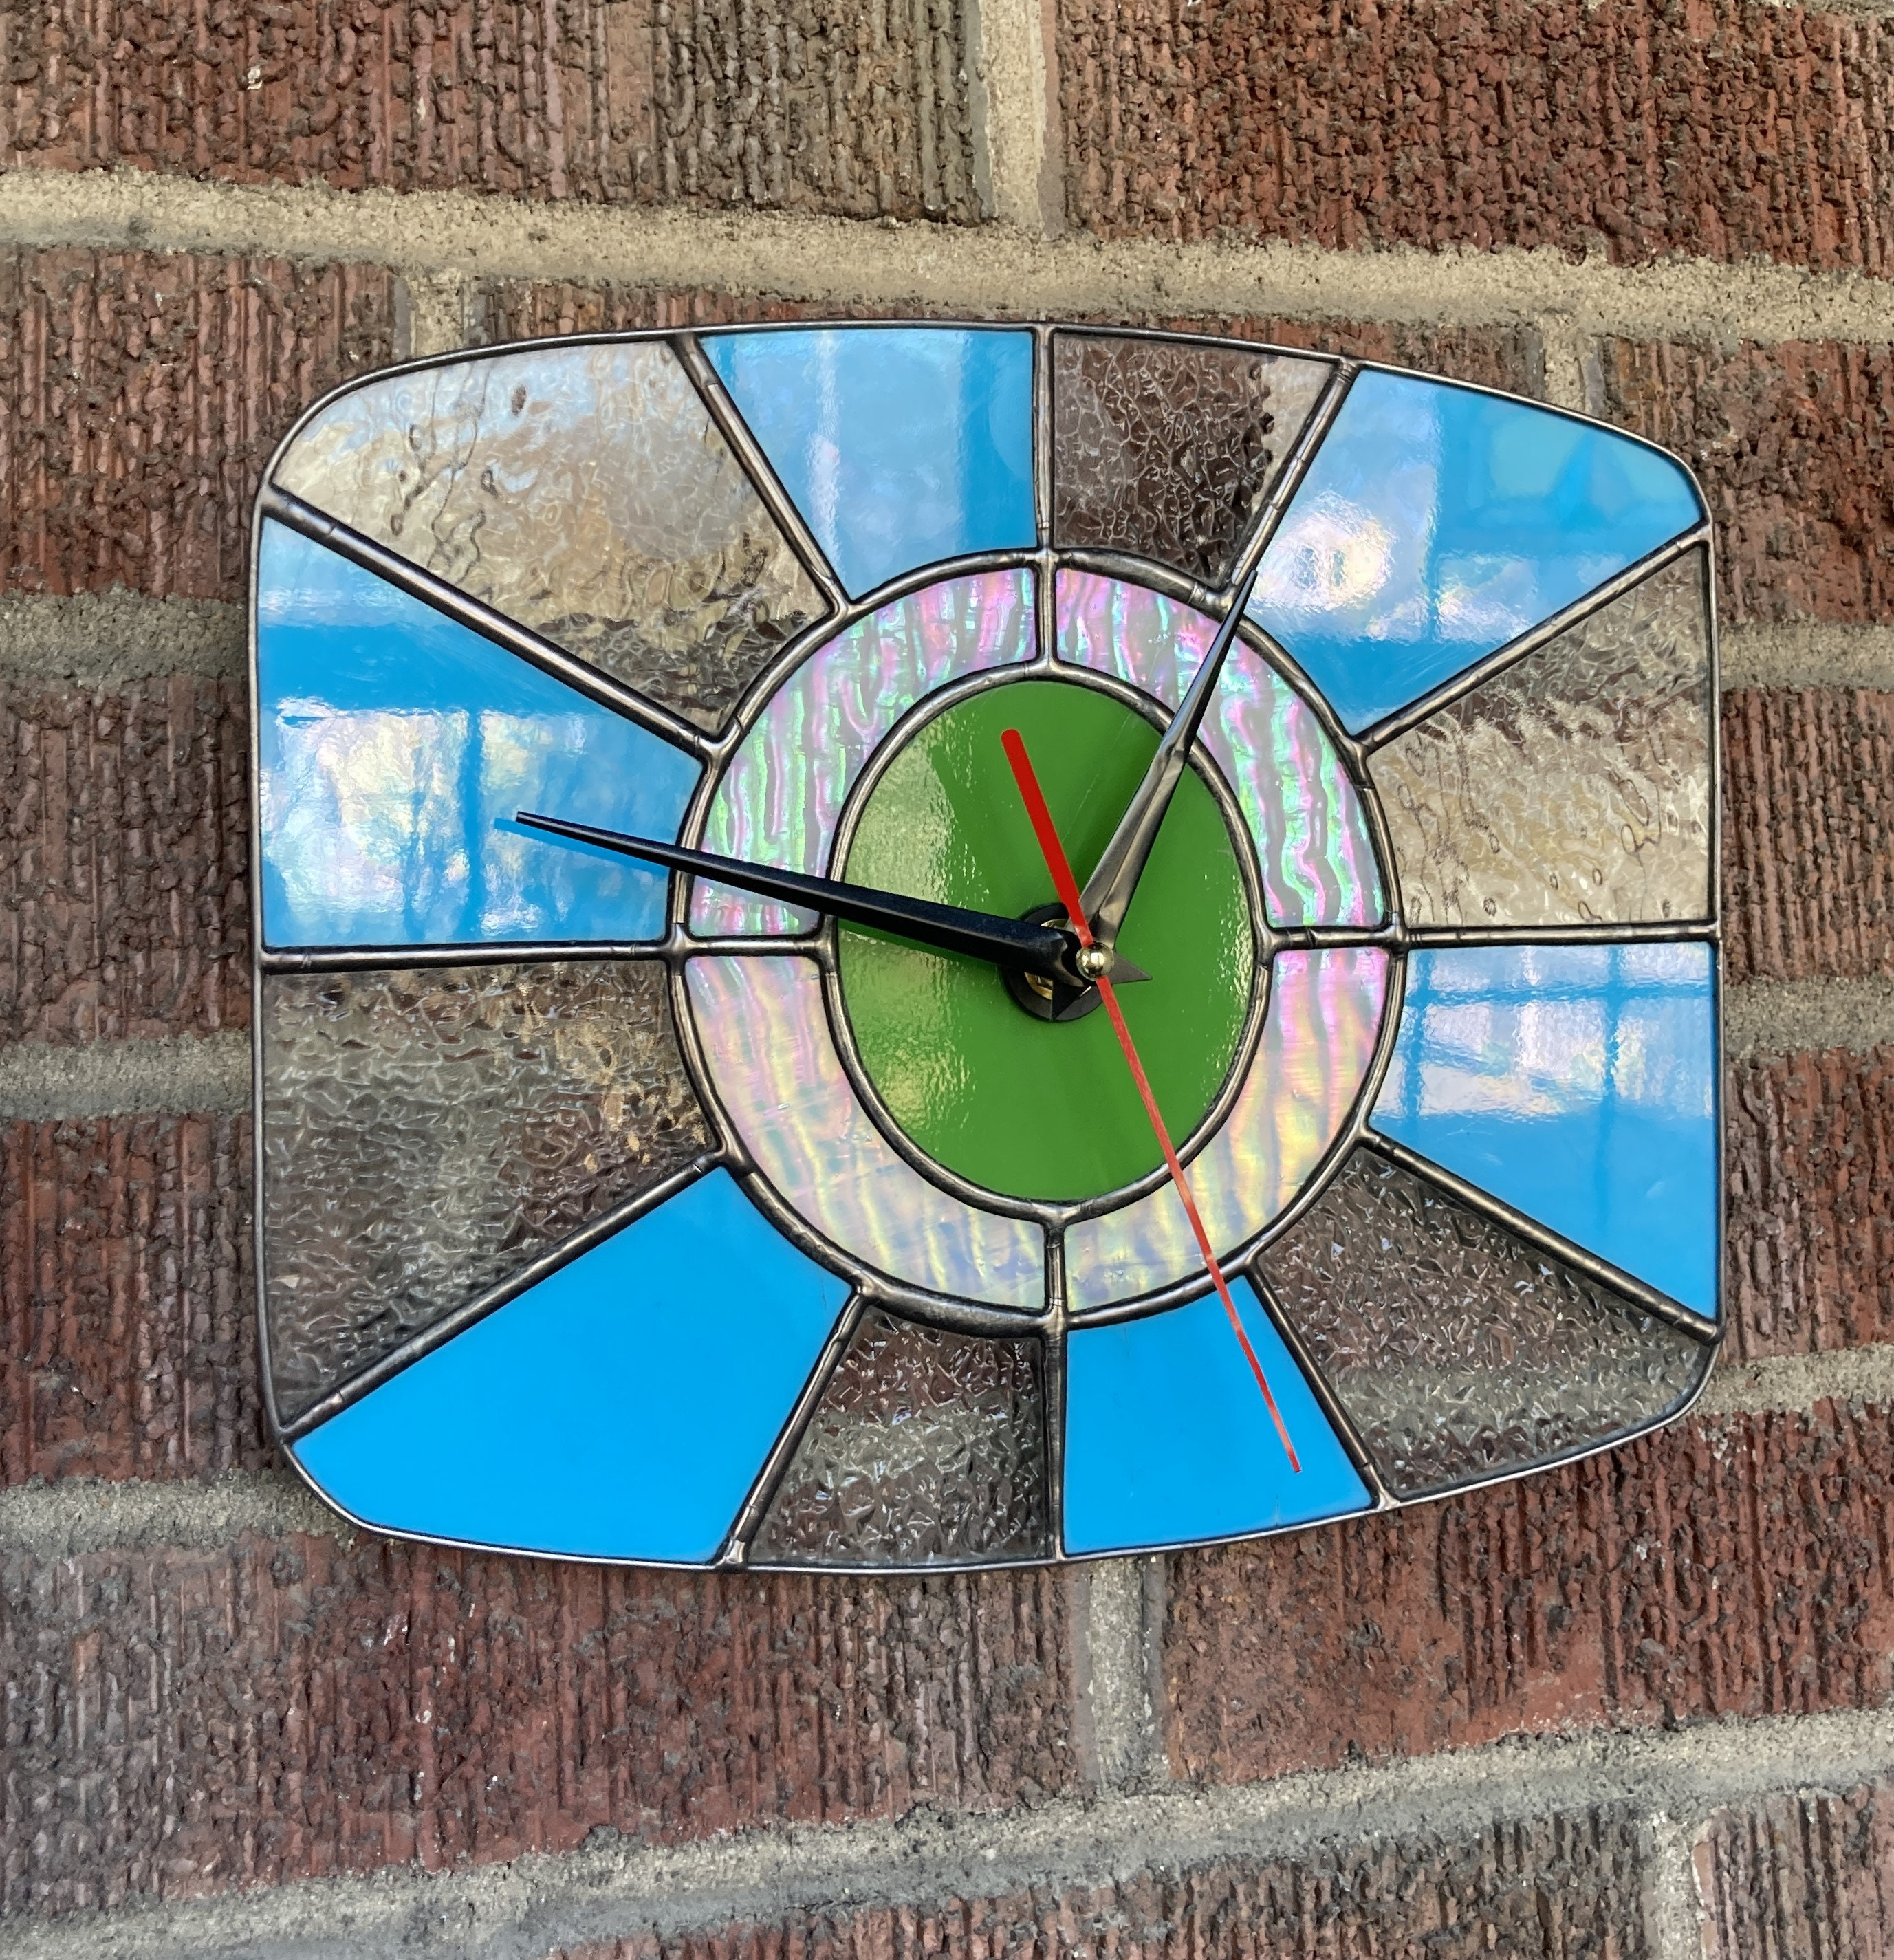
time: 12:46
